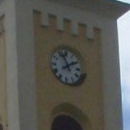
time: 1:56
